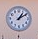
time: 1:09
